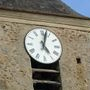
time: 5:02
